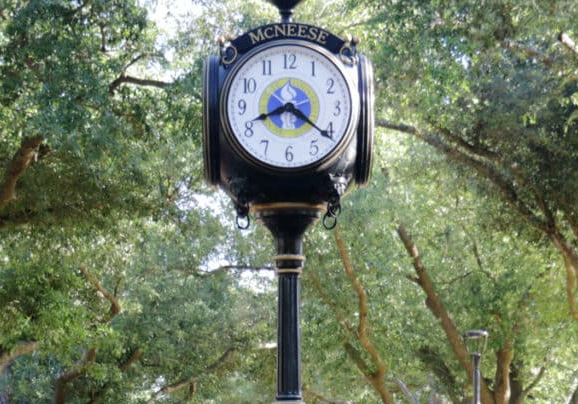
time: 8:21
